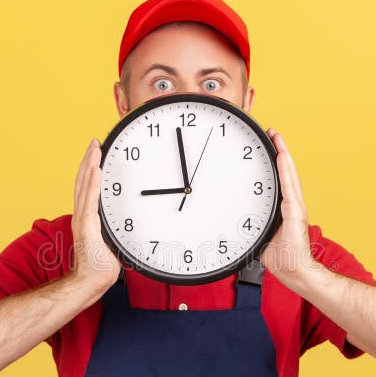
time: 8:58
